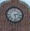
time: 2:28
